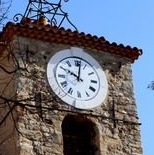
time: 10:01
